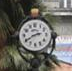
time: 2:40
